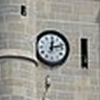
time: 12:12
